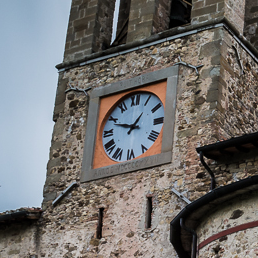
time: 12:48
